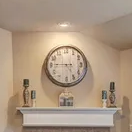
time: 4:45
